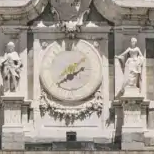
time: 1:38
